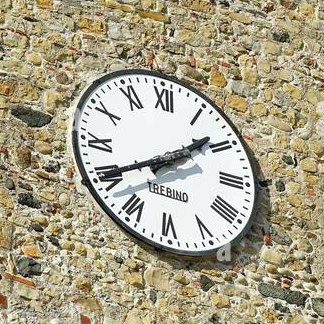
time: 1:40
